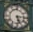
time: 5:15
